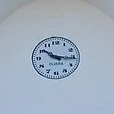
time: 10:15
